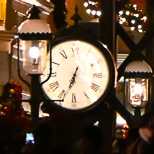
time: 6:33
